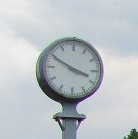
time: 3:49
